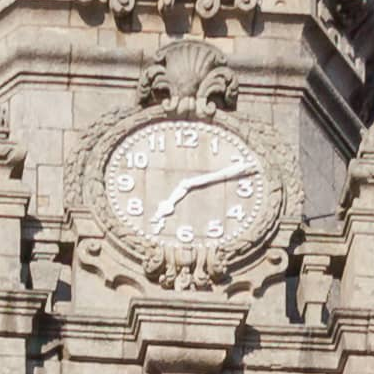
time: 7:12
